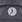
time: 11:35
